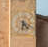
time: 4:31
